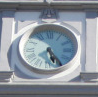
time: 5:23
